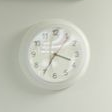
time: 3:34
